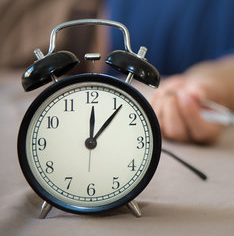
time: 12:06
